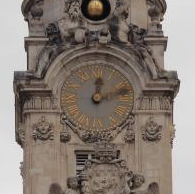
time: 12:12
